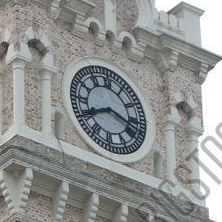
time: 8:17
